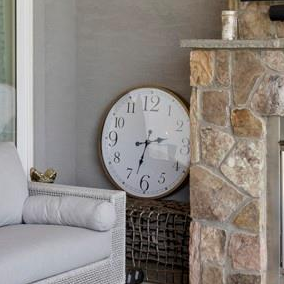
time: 2:32
